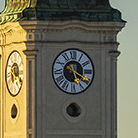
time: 5:19
